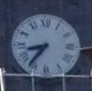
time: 8:36
